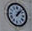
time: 1:07
